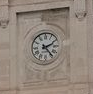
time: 2:23
